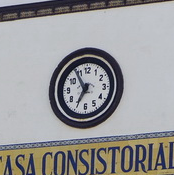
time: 6:54
